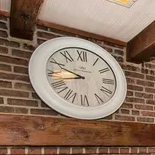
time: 9:42
